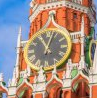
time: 11:03
